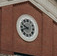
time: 9:41
